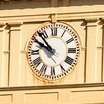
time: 9:53
